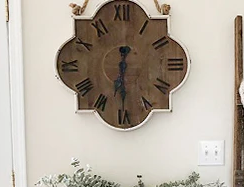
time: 6:29
